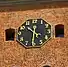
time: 10:31
